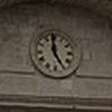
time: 4:59
